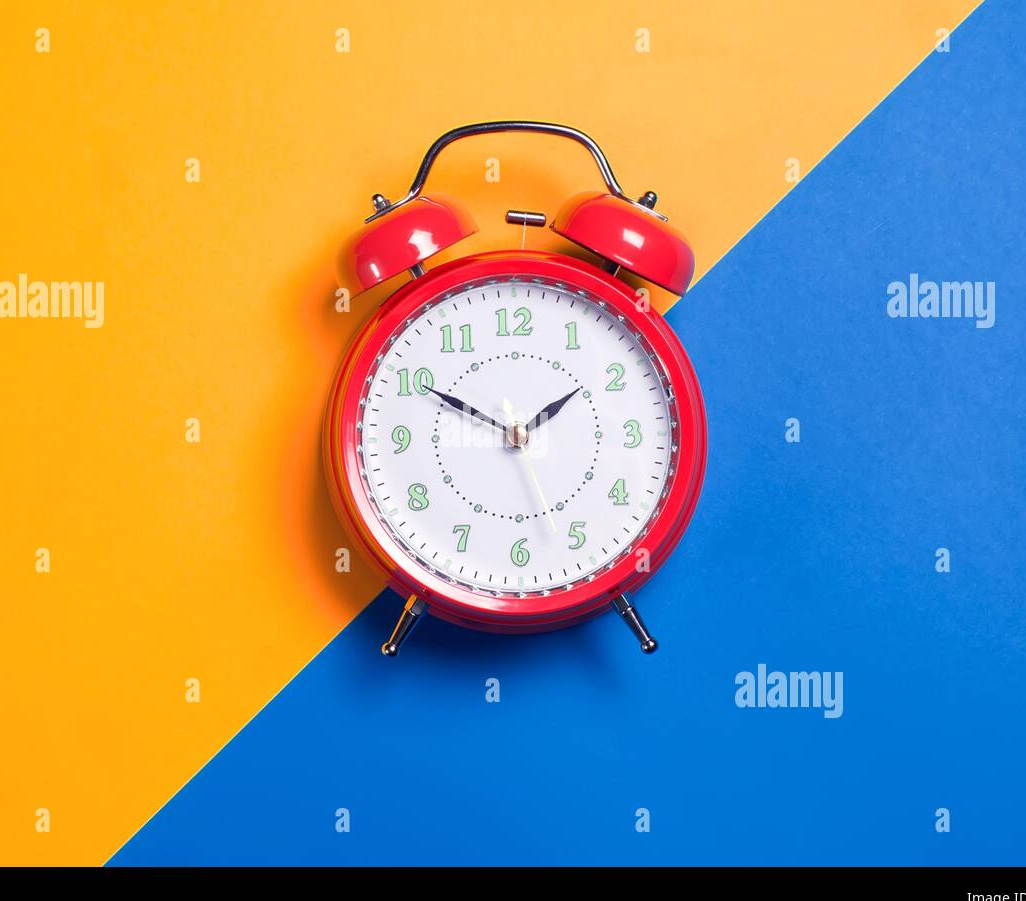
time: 1:49
